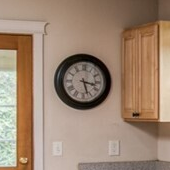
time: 3:27
